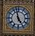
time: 4:57
